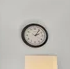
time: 2:06
